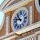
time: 10:47
